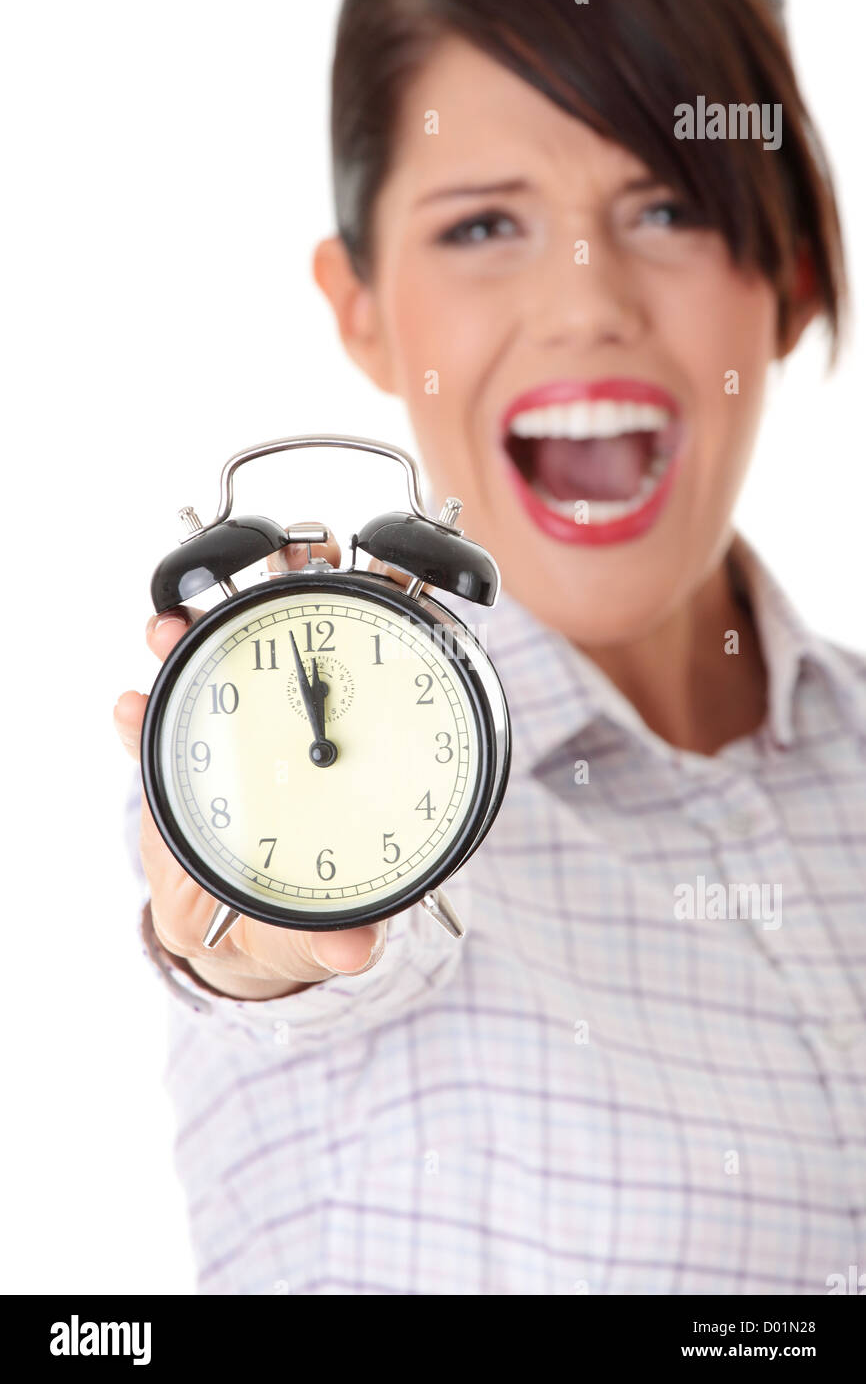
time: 11:58
